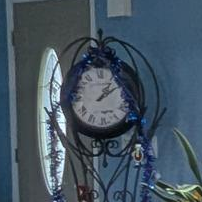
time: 1:09
